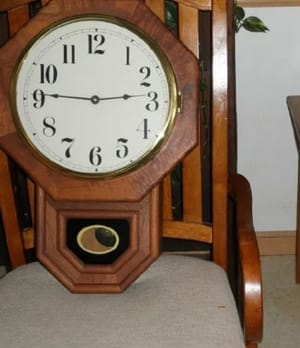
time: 2:45
